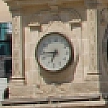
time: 6:44
